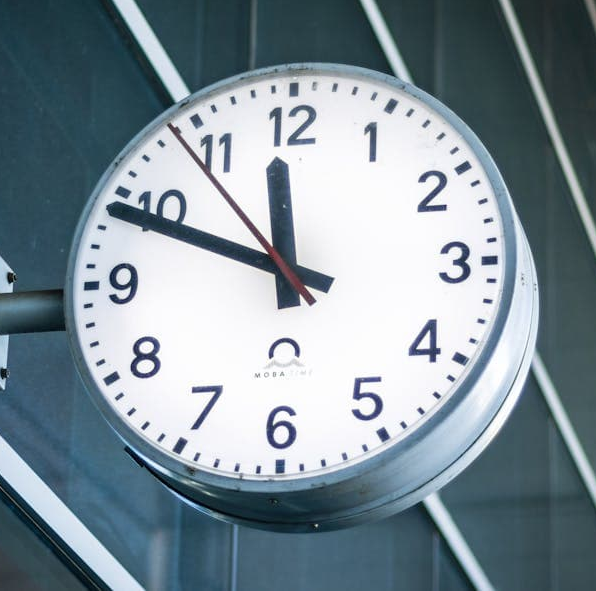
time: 11:48
